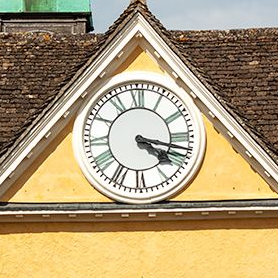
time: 4:17
